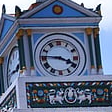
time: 3:45
